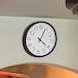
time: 4:04
